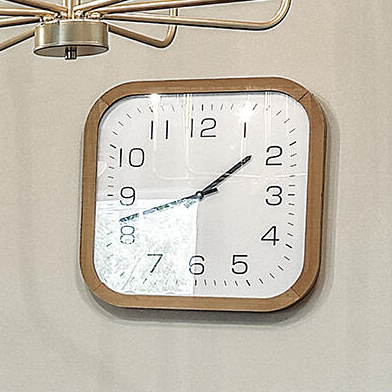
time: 1:42
